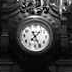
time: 7:25
